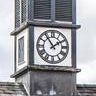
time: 1:54
